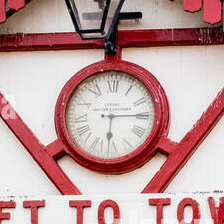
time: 6:14
